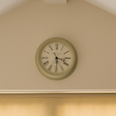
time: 3:29
